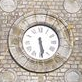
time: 5:28
